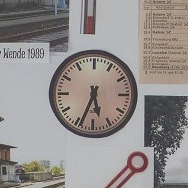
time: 5:33
